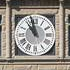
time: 10:58
